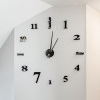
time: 1:01
